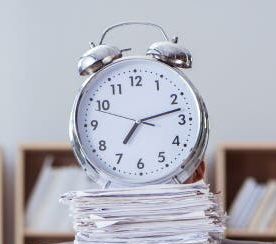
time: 7:12
